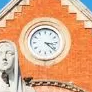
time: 3:21
